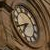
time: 6:40
